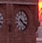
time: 4:21
